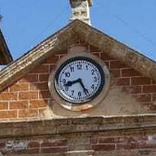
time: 8:25
